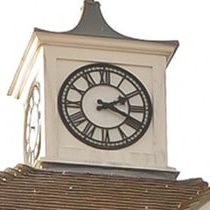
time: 2:18
